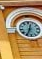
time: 12:34
